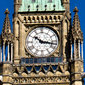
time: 10:17
